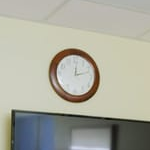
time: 12:12
